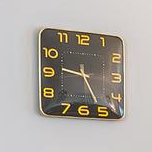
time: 9:25
